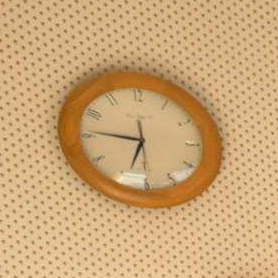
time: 6:46
